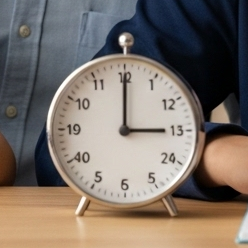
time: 3:00
